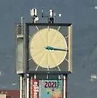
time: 3:15
